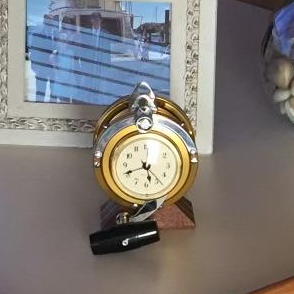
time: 5:42
